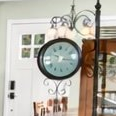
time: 10:16
